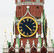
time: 4:22
